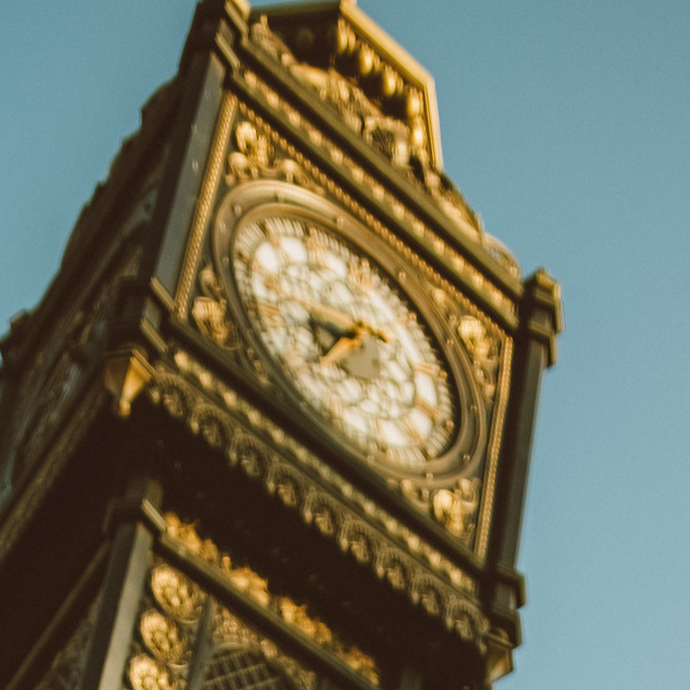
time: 8:38
